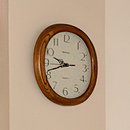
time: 9:41
